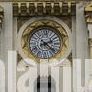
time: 2:21
